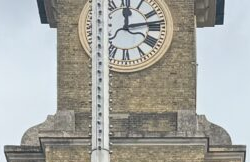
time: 12:13
